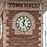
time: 12:23
